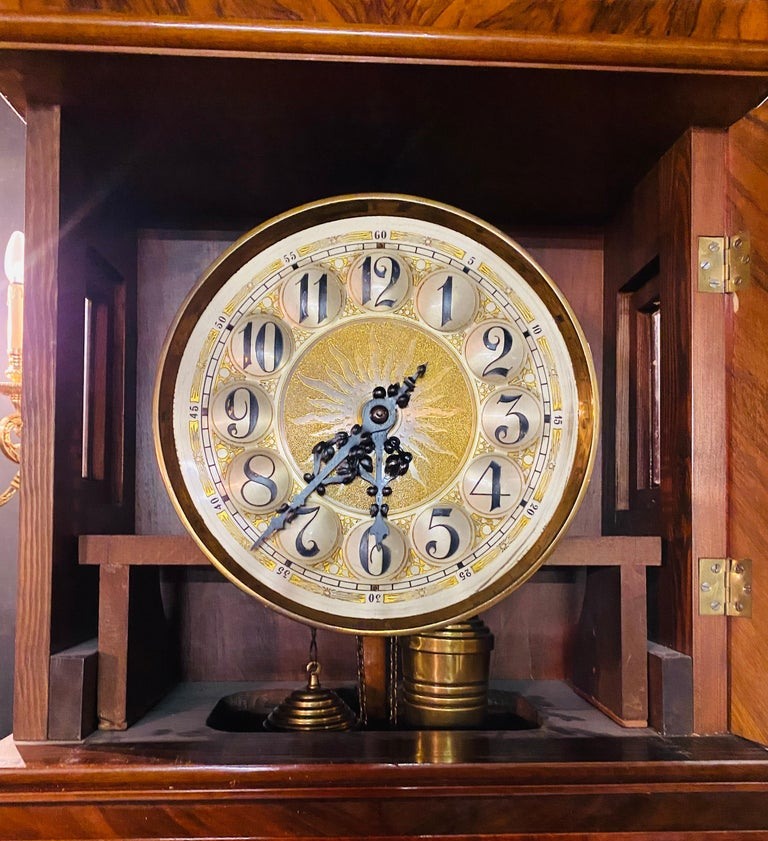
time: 1:37
